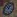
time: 11:07
